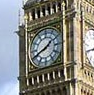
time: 1:41
